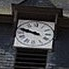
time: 9:47
